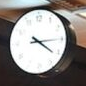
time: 4:14
